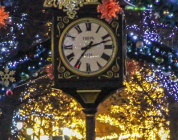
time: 7:12
